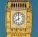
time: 7:59
